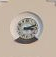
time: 3:11
